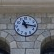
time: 11:16
